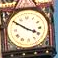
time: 3:50
